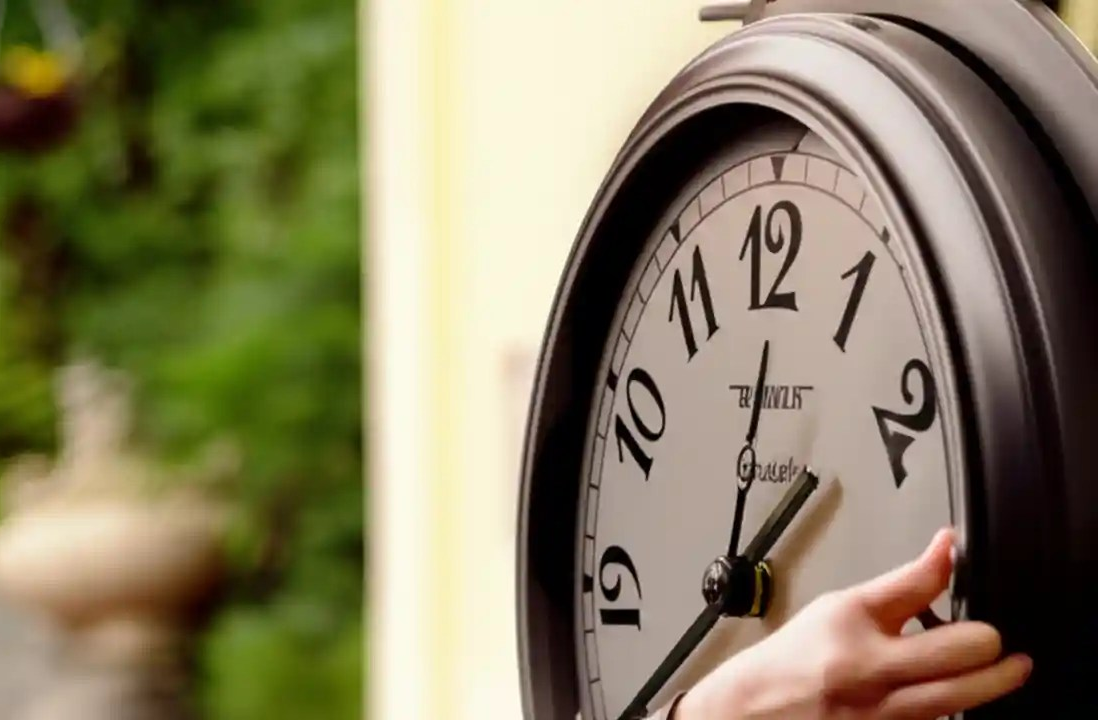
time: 1:39
